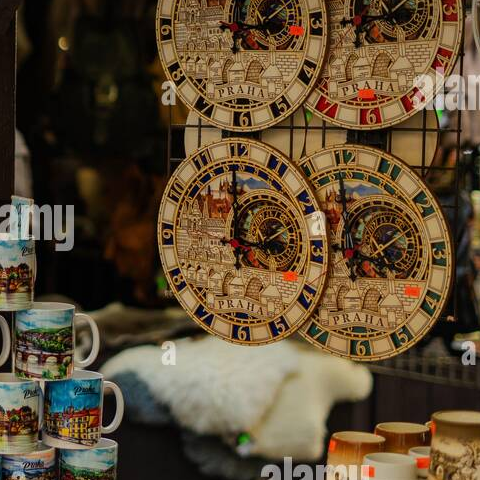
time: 2:59
